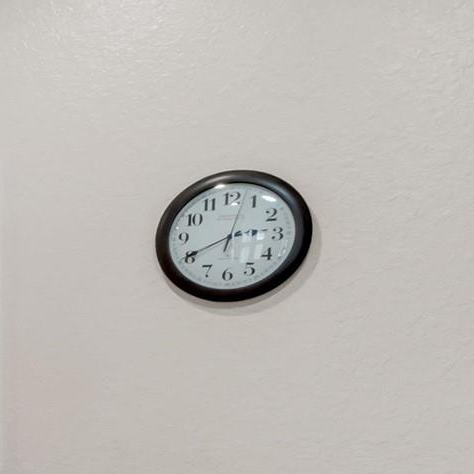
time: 2:40
